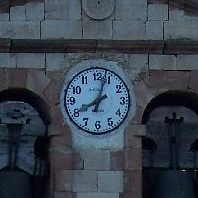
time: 8:03
